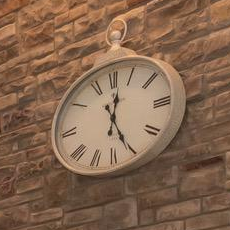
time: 12:25
